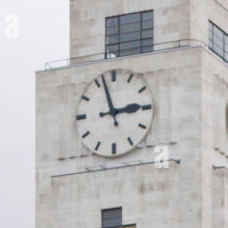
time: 2:57
